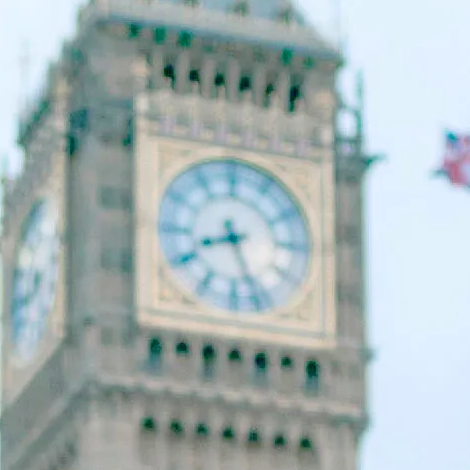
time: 8:26
